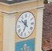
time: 10:34
